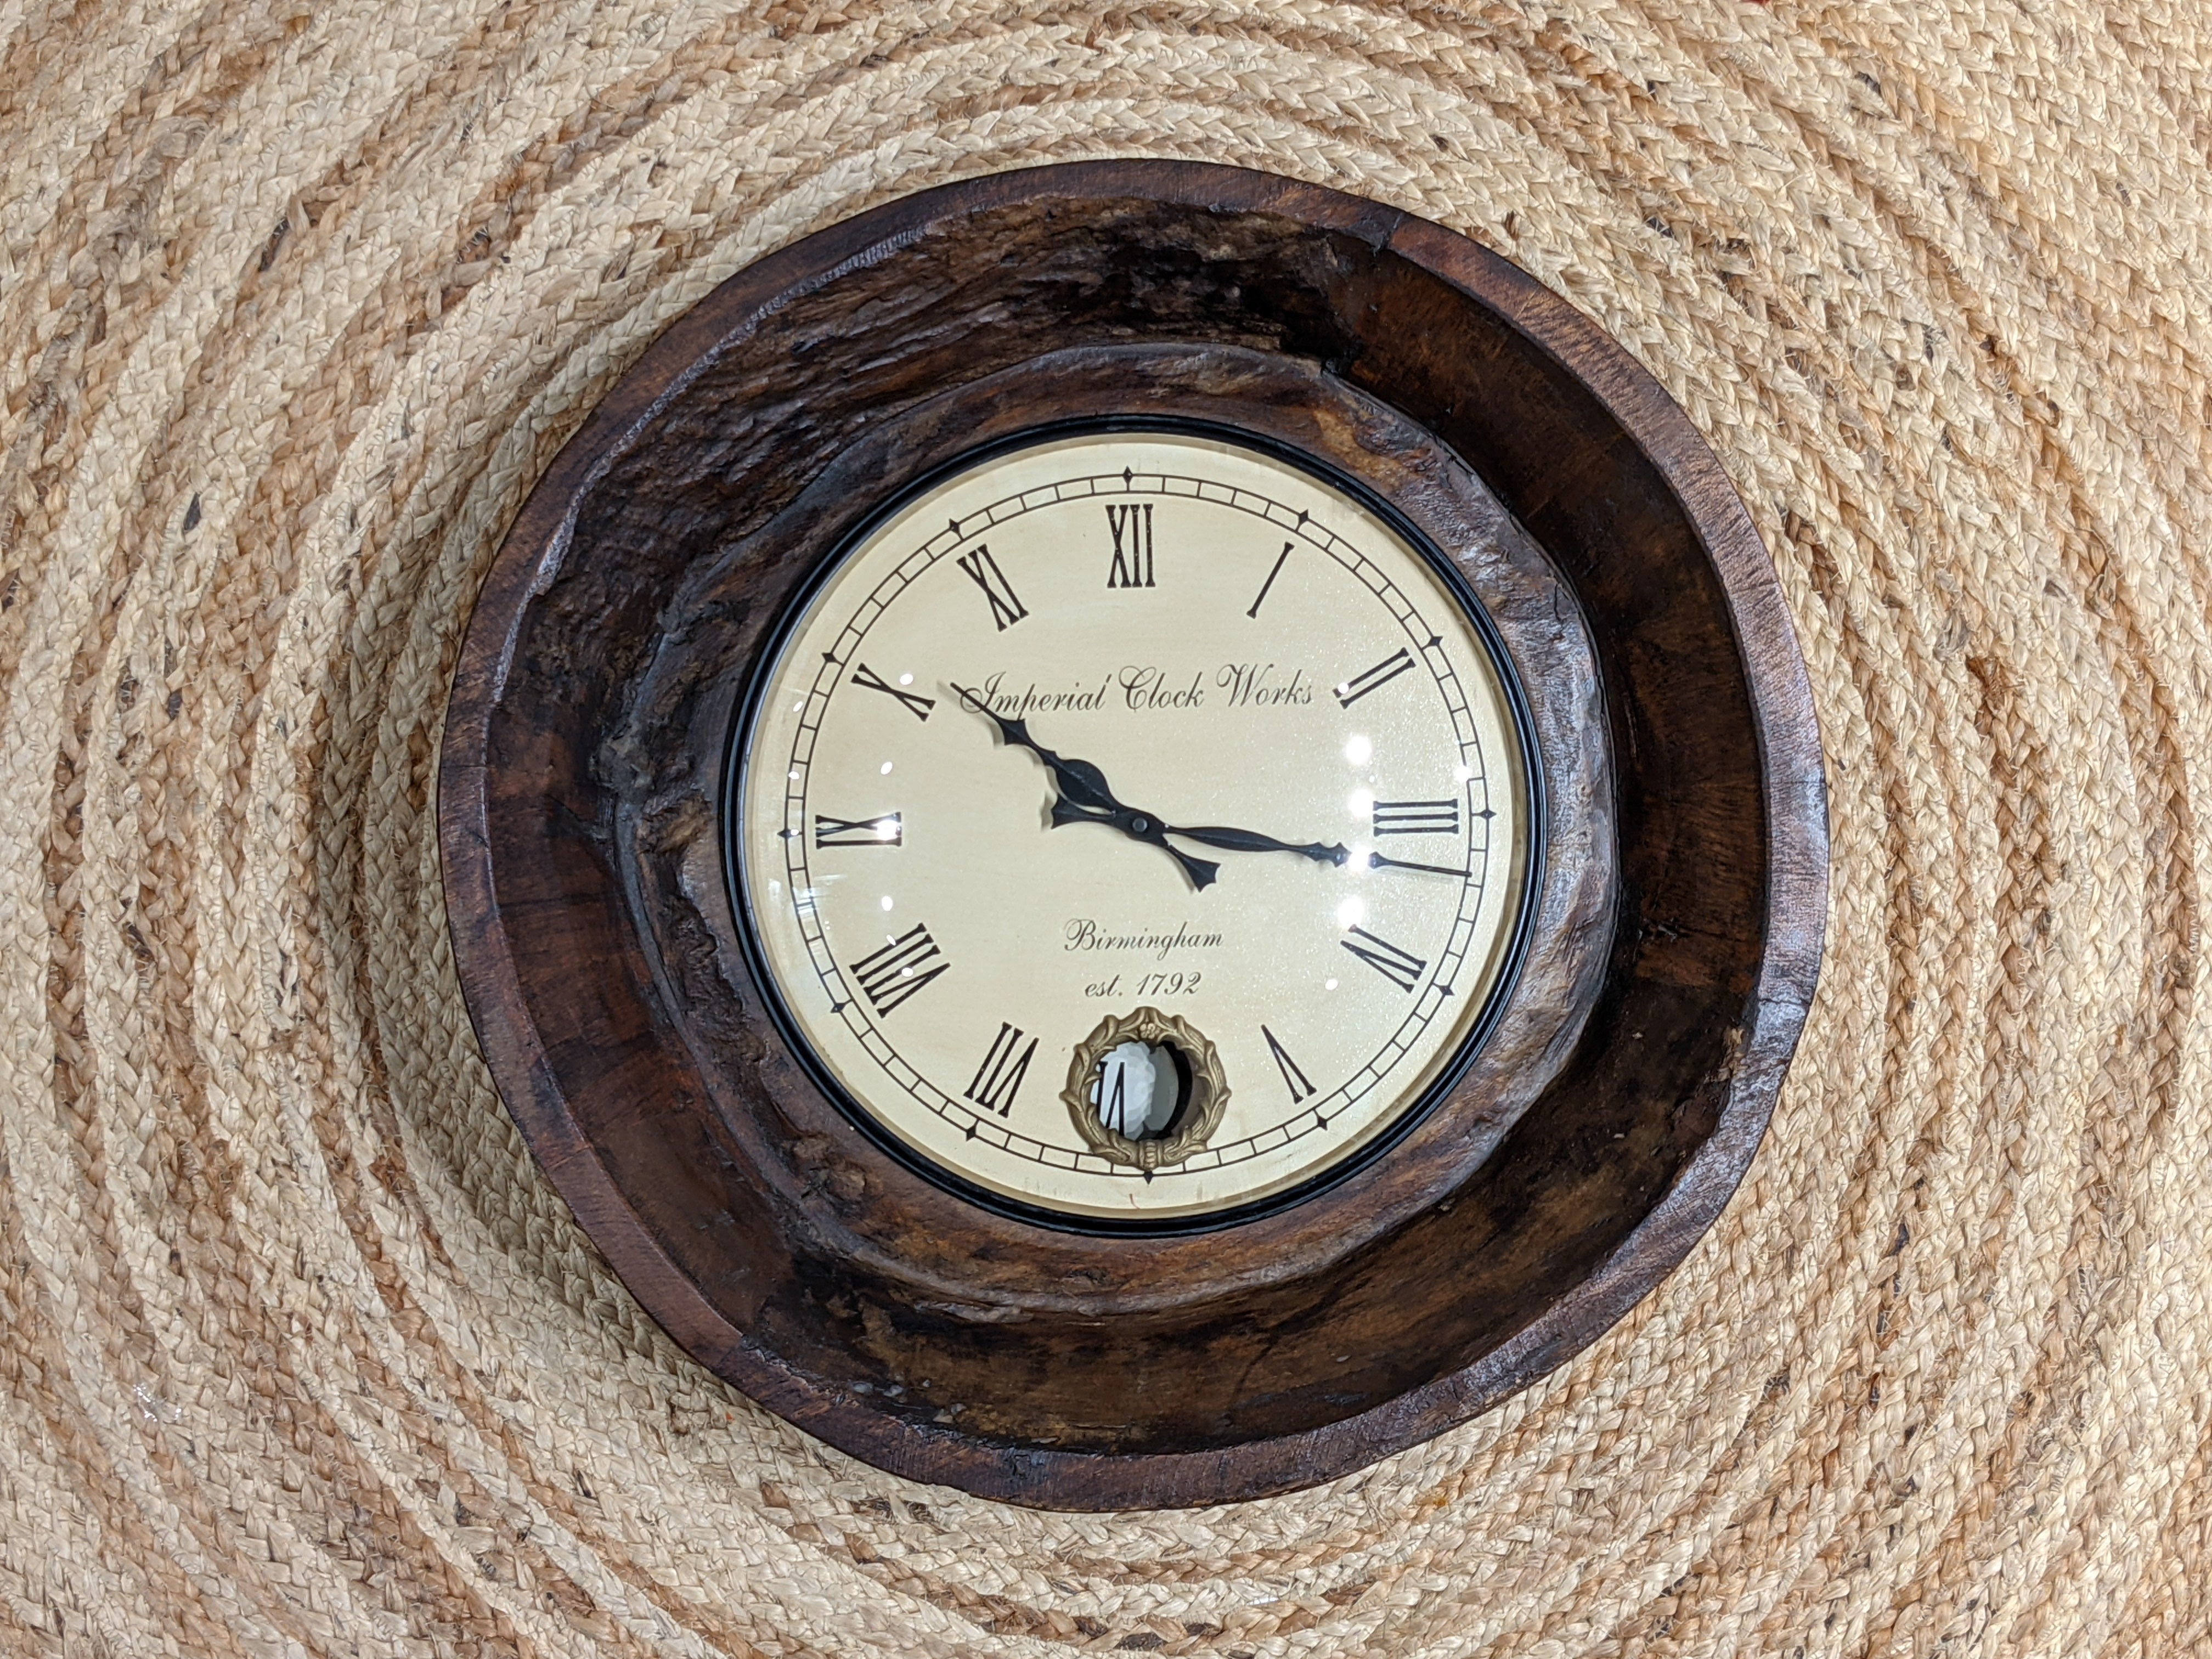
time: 10:16
